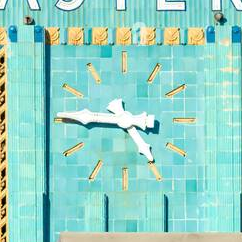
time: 4:45
